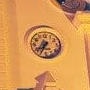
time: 7:34
